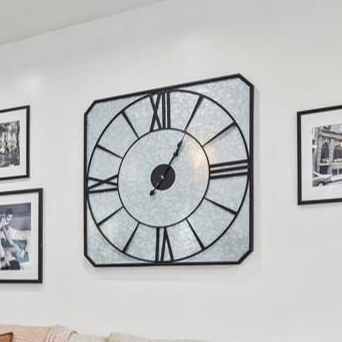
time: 1:05
